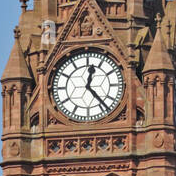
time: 12:23
